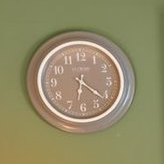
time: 6:21
